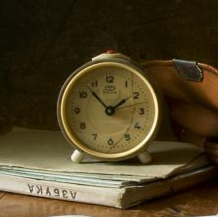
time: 1:52
